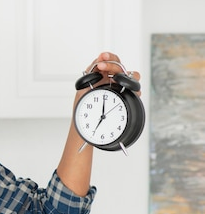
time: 7:00
